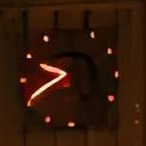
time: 9:40
